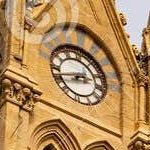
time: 2:42
